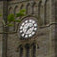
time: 2:35
